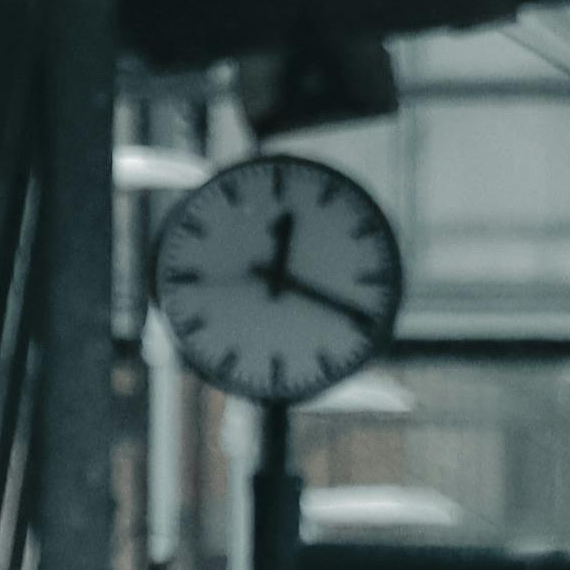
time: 12:19
